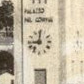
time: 9:01
